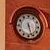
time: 5:26
